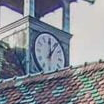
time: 12:06
